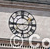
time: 2:44
